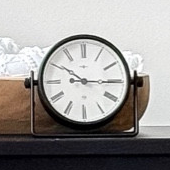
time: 10:14
